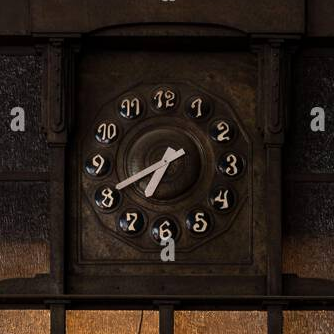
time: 6:40
